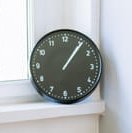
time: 1:05
